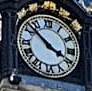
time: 3:52
